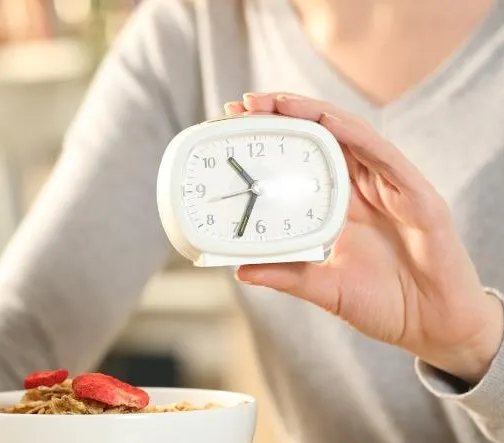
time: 10:33
